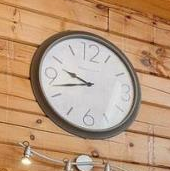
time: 9:42
